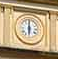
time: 6:00
